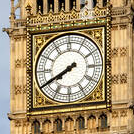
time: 7:40
